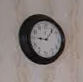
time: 9:06
